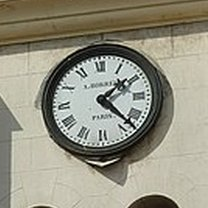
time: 1:22
